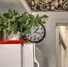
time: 1:16
